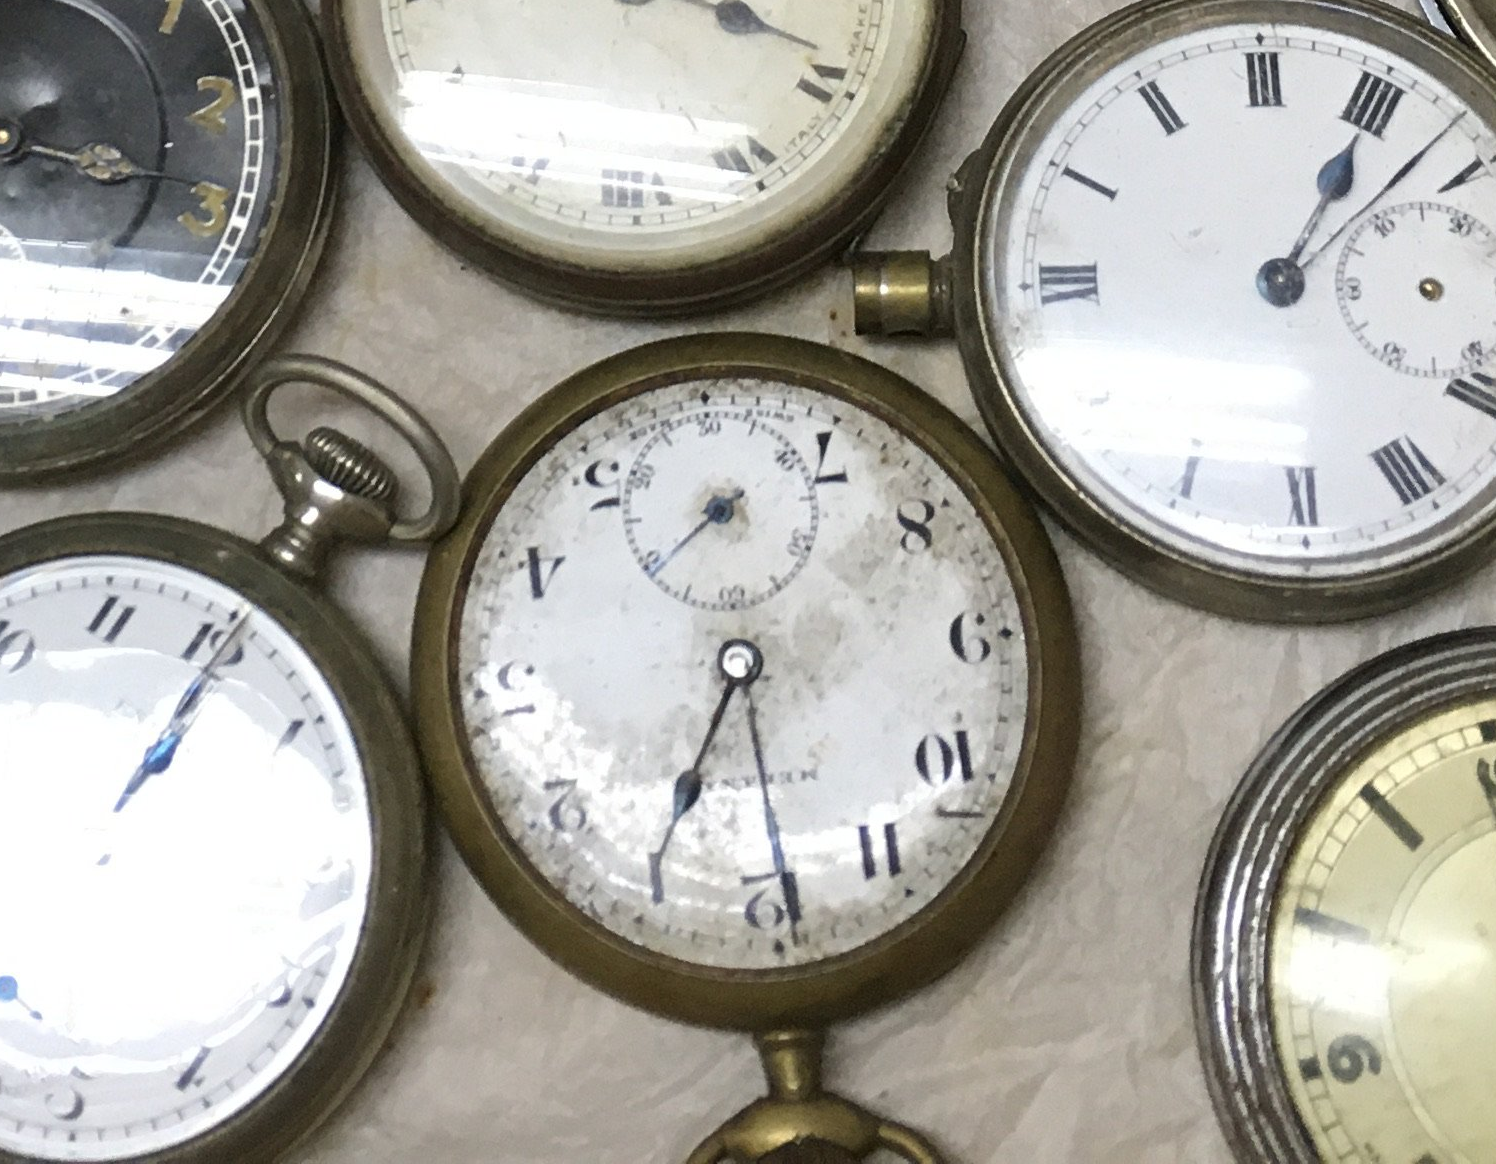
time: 1:34
